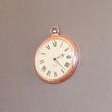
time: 2:23
